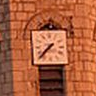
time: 7:37
